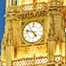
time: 4:47
